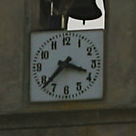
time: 3:37
